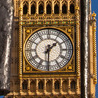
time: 1:30
